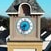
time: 8:32
